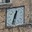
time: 12:32
